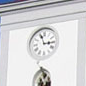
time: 2:56
